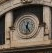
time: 12:23
